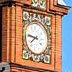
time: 7:46
